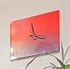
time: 3:58
